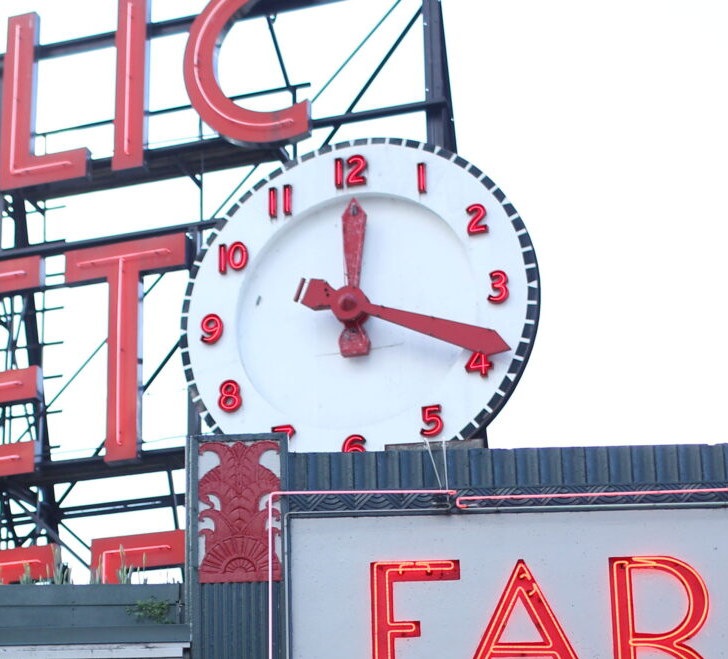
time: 12:18
